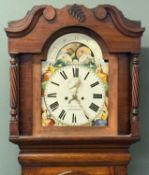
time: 12:24
